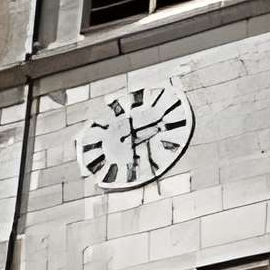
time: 2:29
